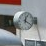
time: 12:20
